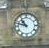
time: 10:47
